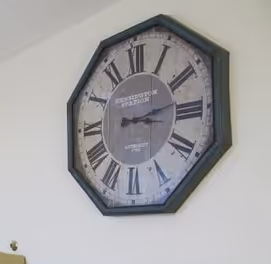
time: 3:13
